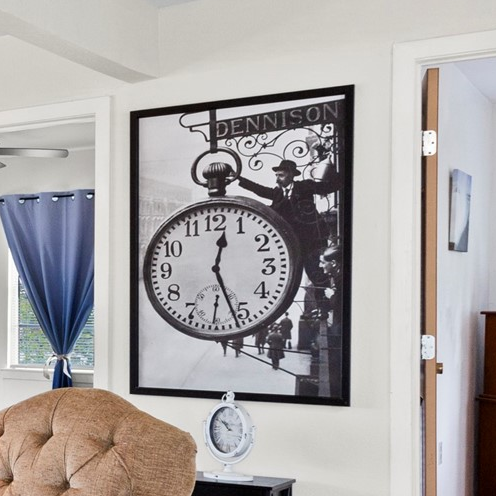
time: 12:26
